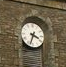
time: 3:33
